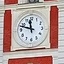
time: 11:47
